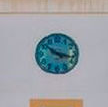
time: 10:17
